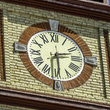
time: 2:29
